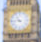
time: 10:44
